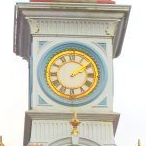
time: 2:09
